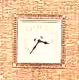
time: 3:35
